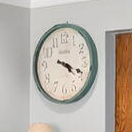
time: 4:18
